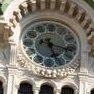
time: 5:17
